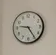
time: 9:24
